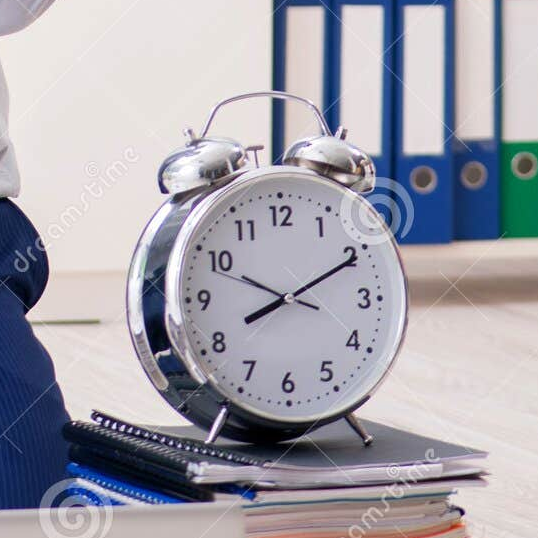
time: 8:10
